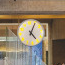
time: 5:05
